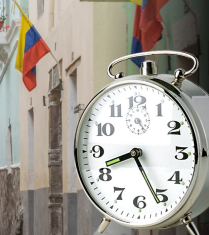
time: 8:25
